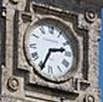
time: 2:34
